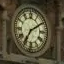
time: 7:09
